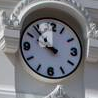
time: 9:53
